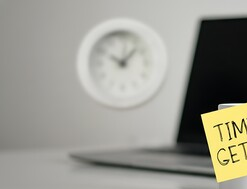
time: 10:07
